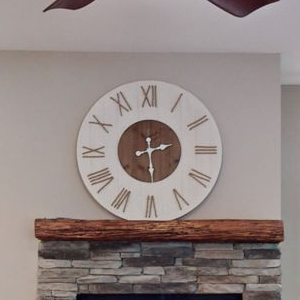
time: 2:29
